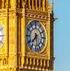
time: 7:28
